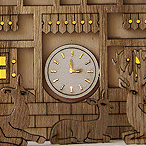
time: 2:59
